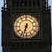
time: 6:32
